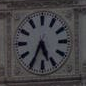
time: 5:34
